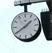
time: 1:39
